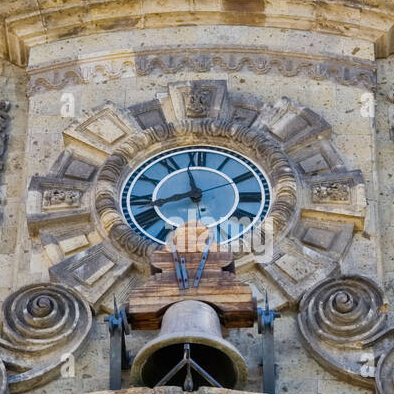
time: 11:41
